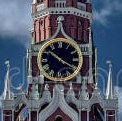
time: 10:20
